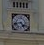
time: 4:42
